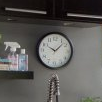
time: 10:07
